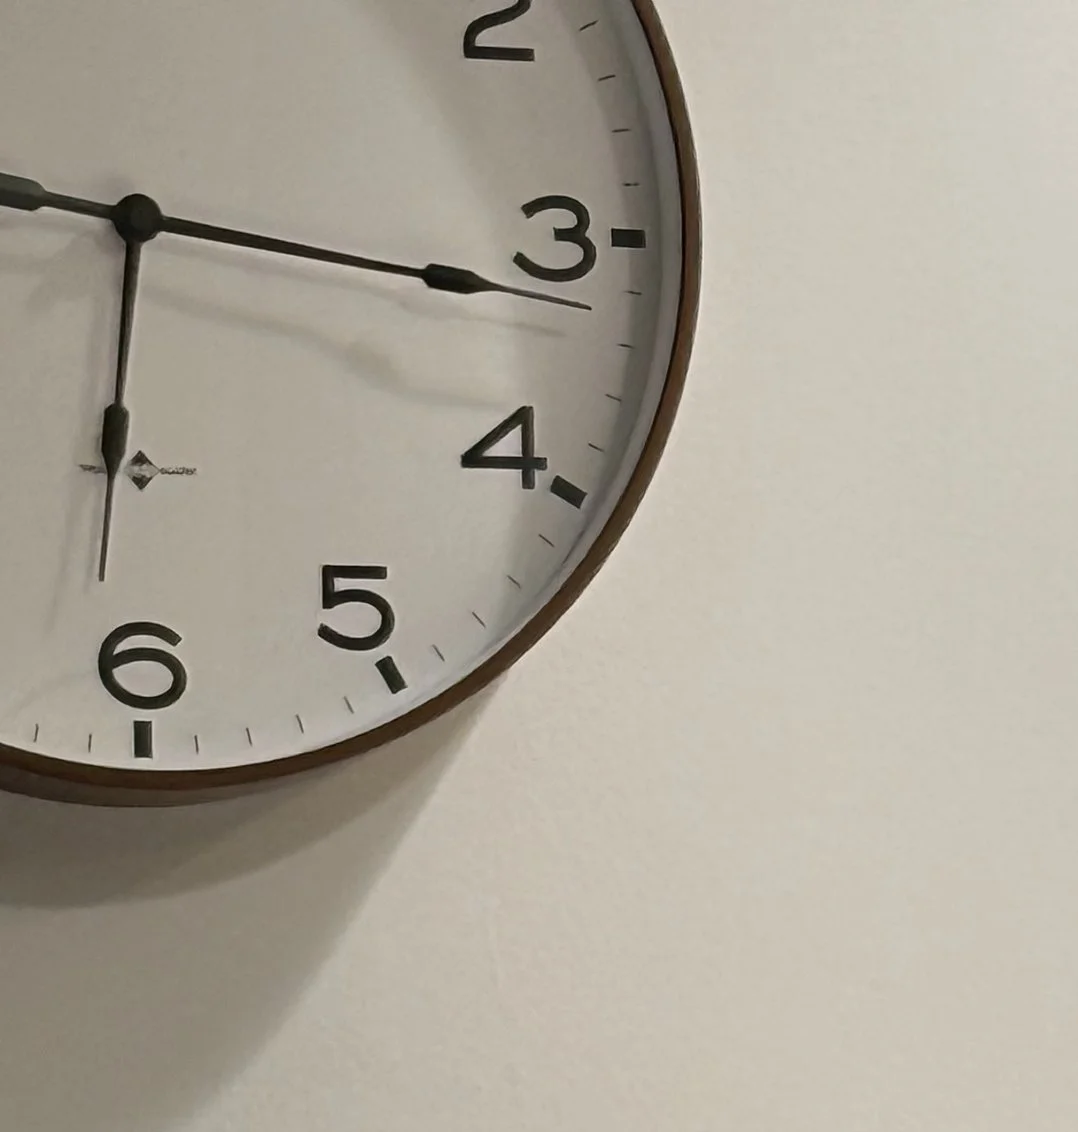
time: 6:16
